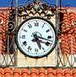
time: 5:18
